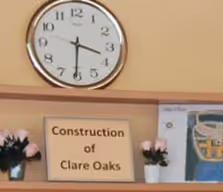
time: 3:30
